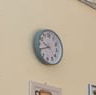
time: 9:41
